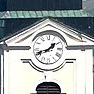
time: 1:41
